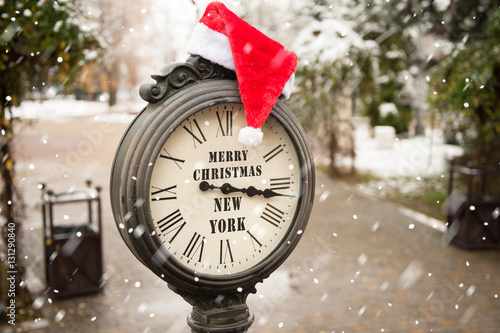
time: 3:16
